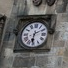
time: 6:09
